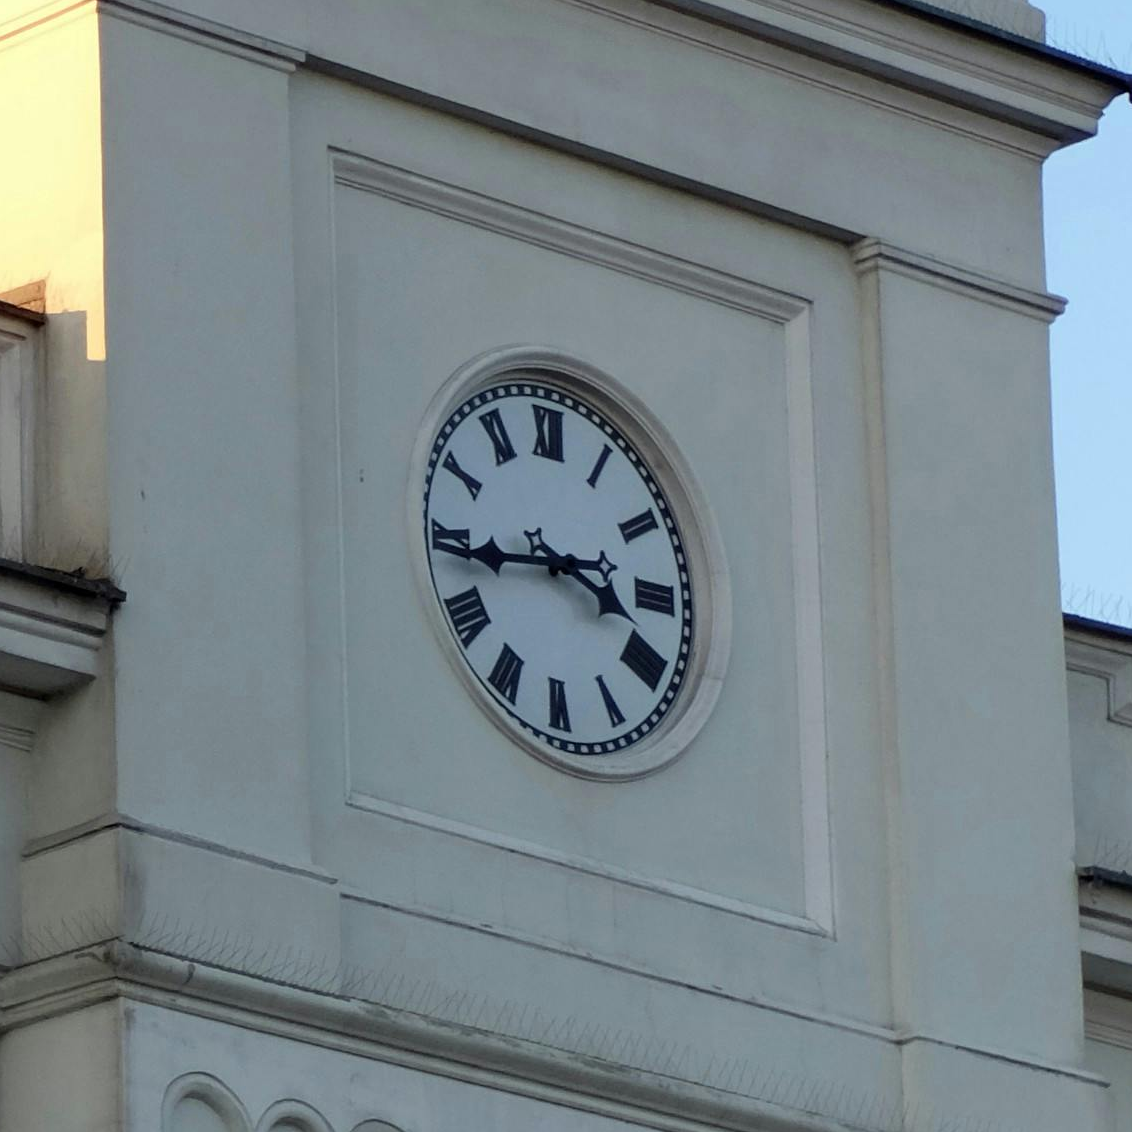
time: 3:43
